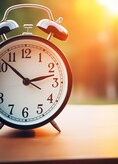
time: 10:12
